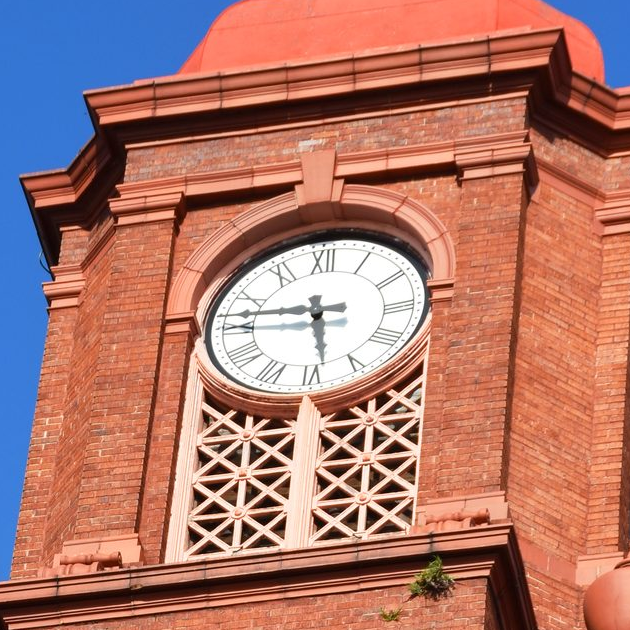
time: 5:45
